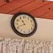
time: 10:41
